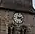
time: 2:18
